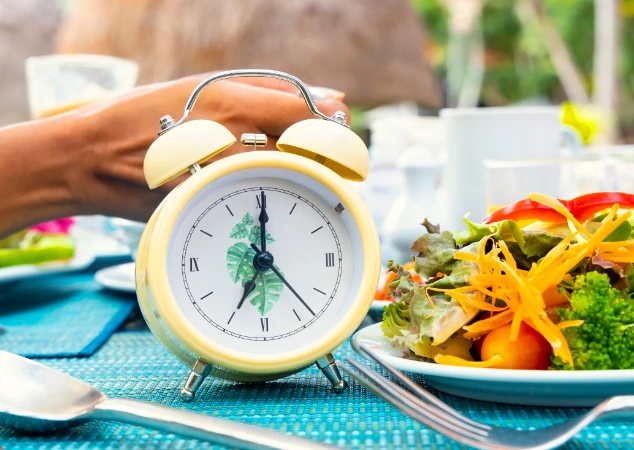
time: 7:00
